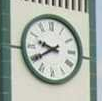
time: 9:39
